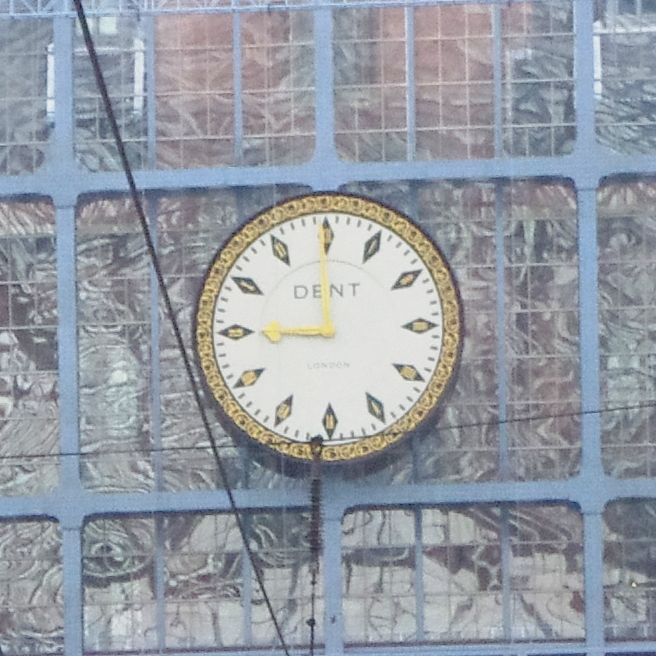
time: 8:59
